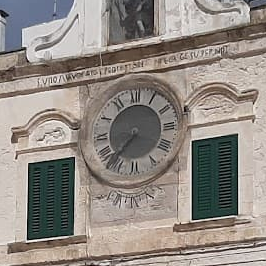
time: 7:18
